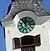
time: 11:55
